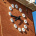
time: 7:43
